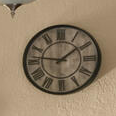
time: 1:46
